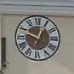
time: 12:49
